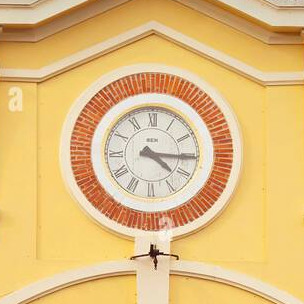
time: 4:15
